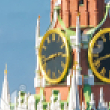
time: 2:42
